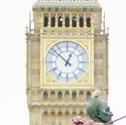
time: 12:52
